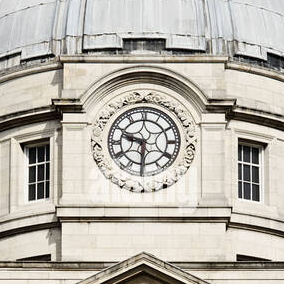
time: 9:30
